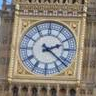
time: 2:21
